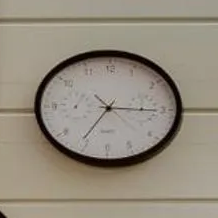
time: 7:15
